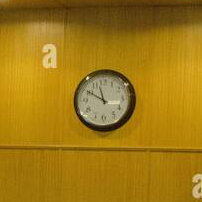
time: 11:50
